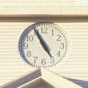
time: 4:55
